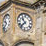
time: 10:37
